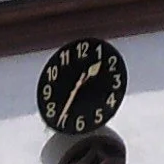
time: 1:35
